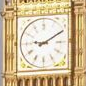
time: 9:10
